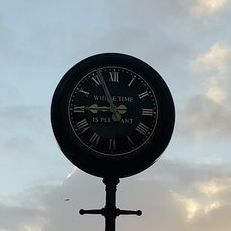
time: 8:56
